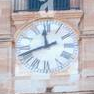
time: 11:41
